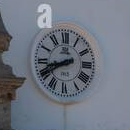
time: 8:40
